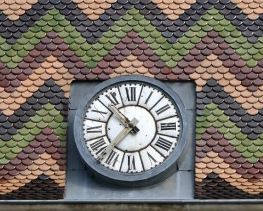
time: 10:36
